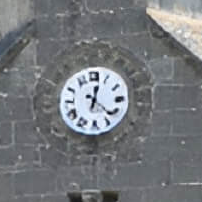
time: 12:22
